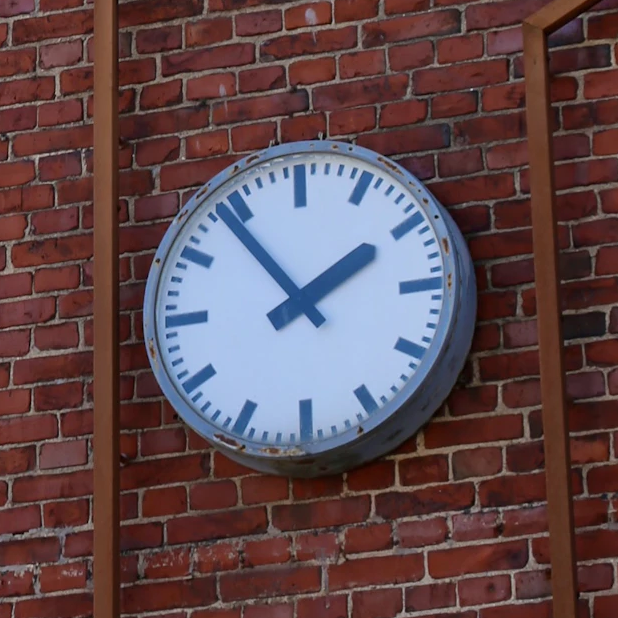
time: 1:53
